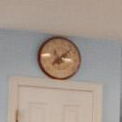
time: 8:07
